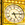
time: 5:13
